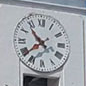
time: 10:38
